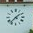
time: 1:36
